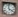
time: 3:58
